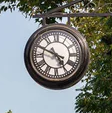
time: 4:49
